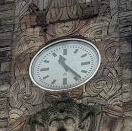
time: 11:23
